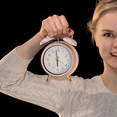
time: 5:58
